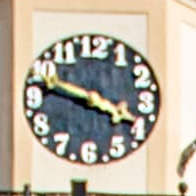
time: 3:47
